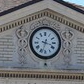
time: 3:32
